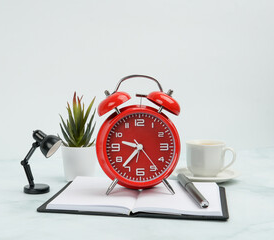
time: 9:36
